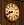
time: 8:40
